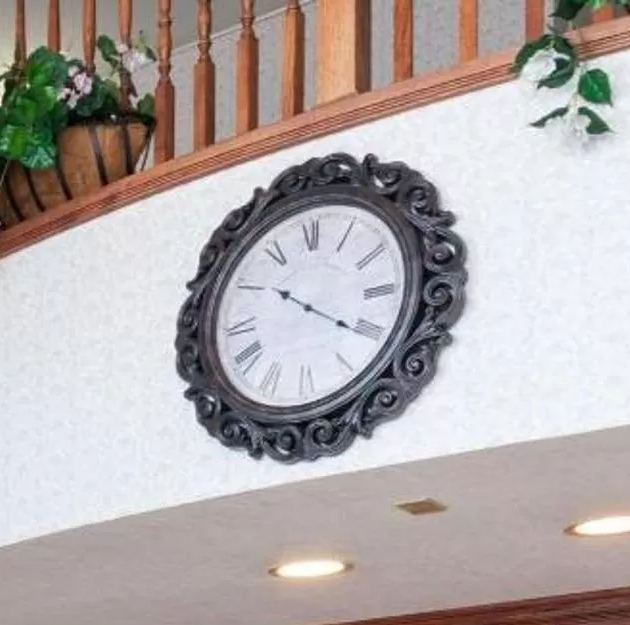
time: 10:20
